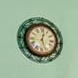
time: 12:26
